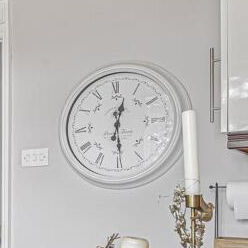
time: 12:29
